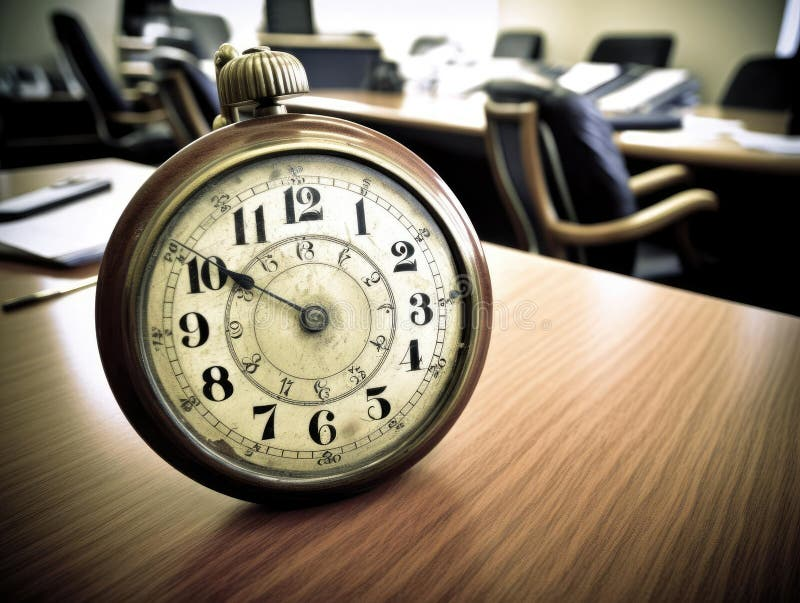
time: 9:50
